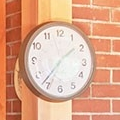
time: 1:36
